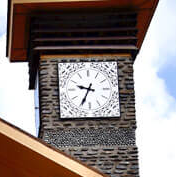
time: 9:34
